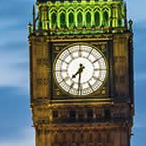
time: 7:31
